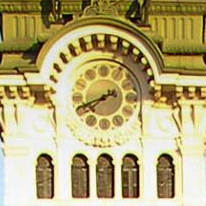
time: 7:41
